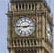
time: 2:45
